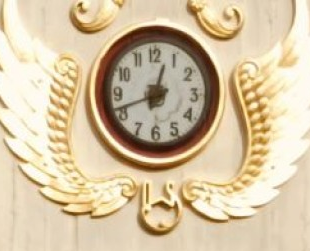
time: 12:41
